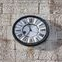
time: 11:35
